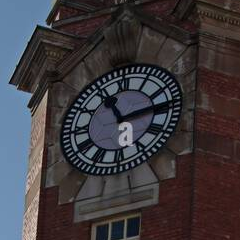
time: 11:13
